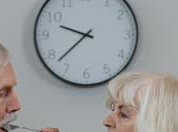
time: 9:37
